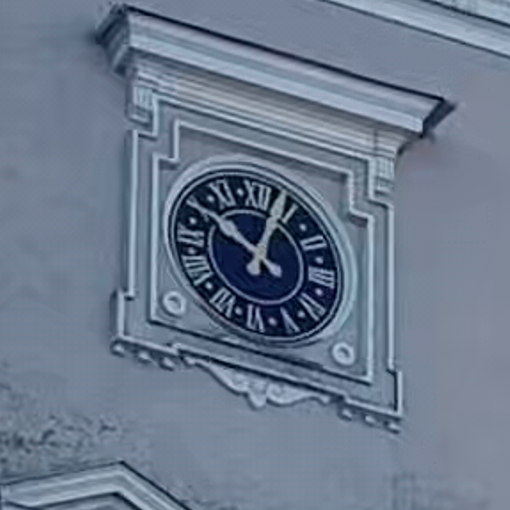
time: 10:03
